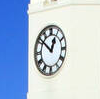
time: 12:51
